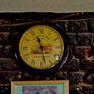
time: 11:27
